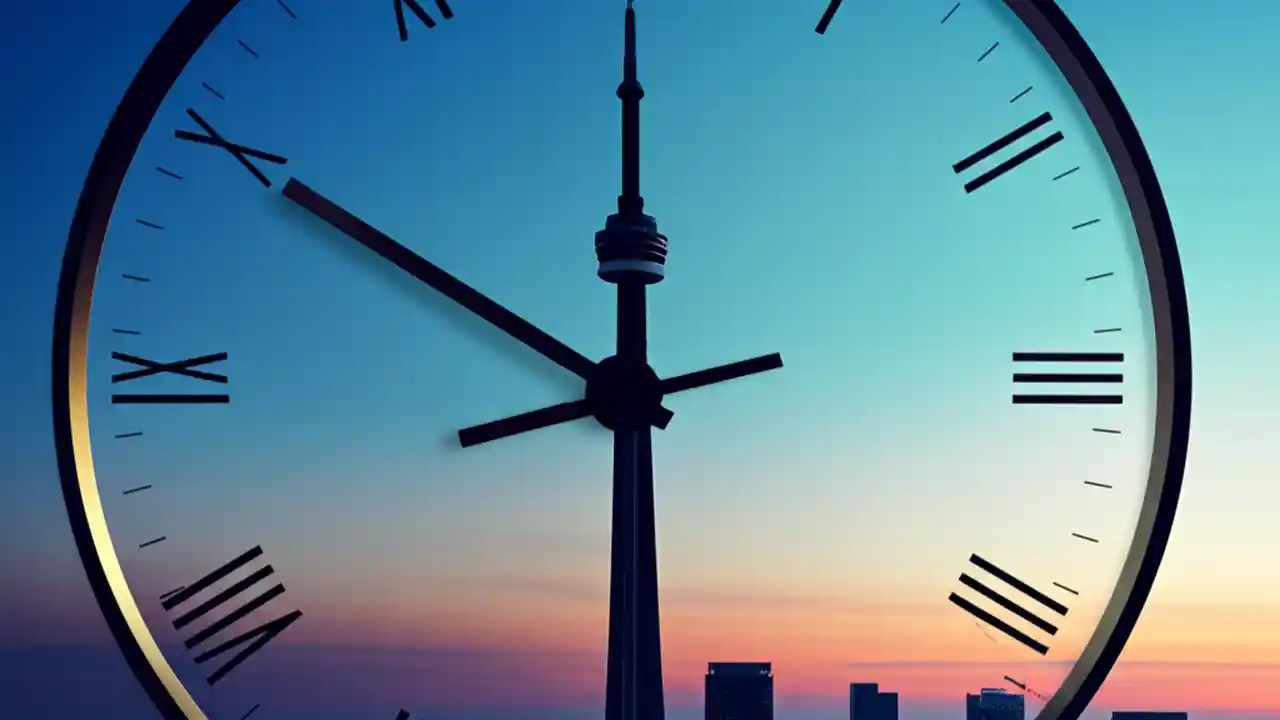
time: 10:00
